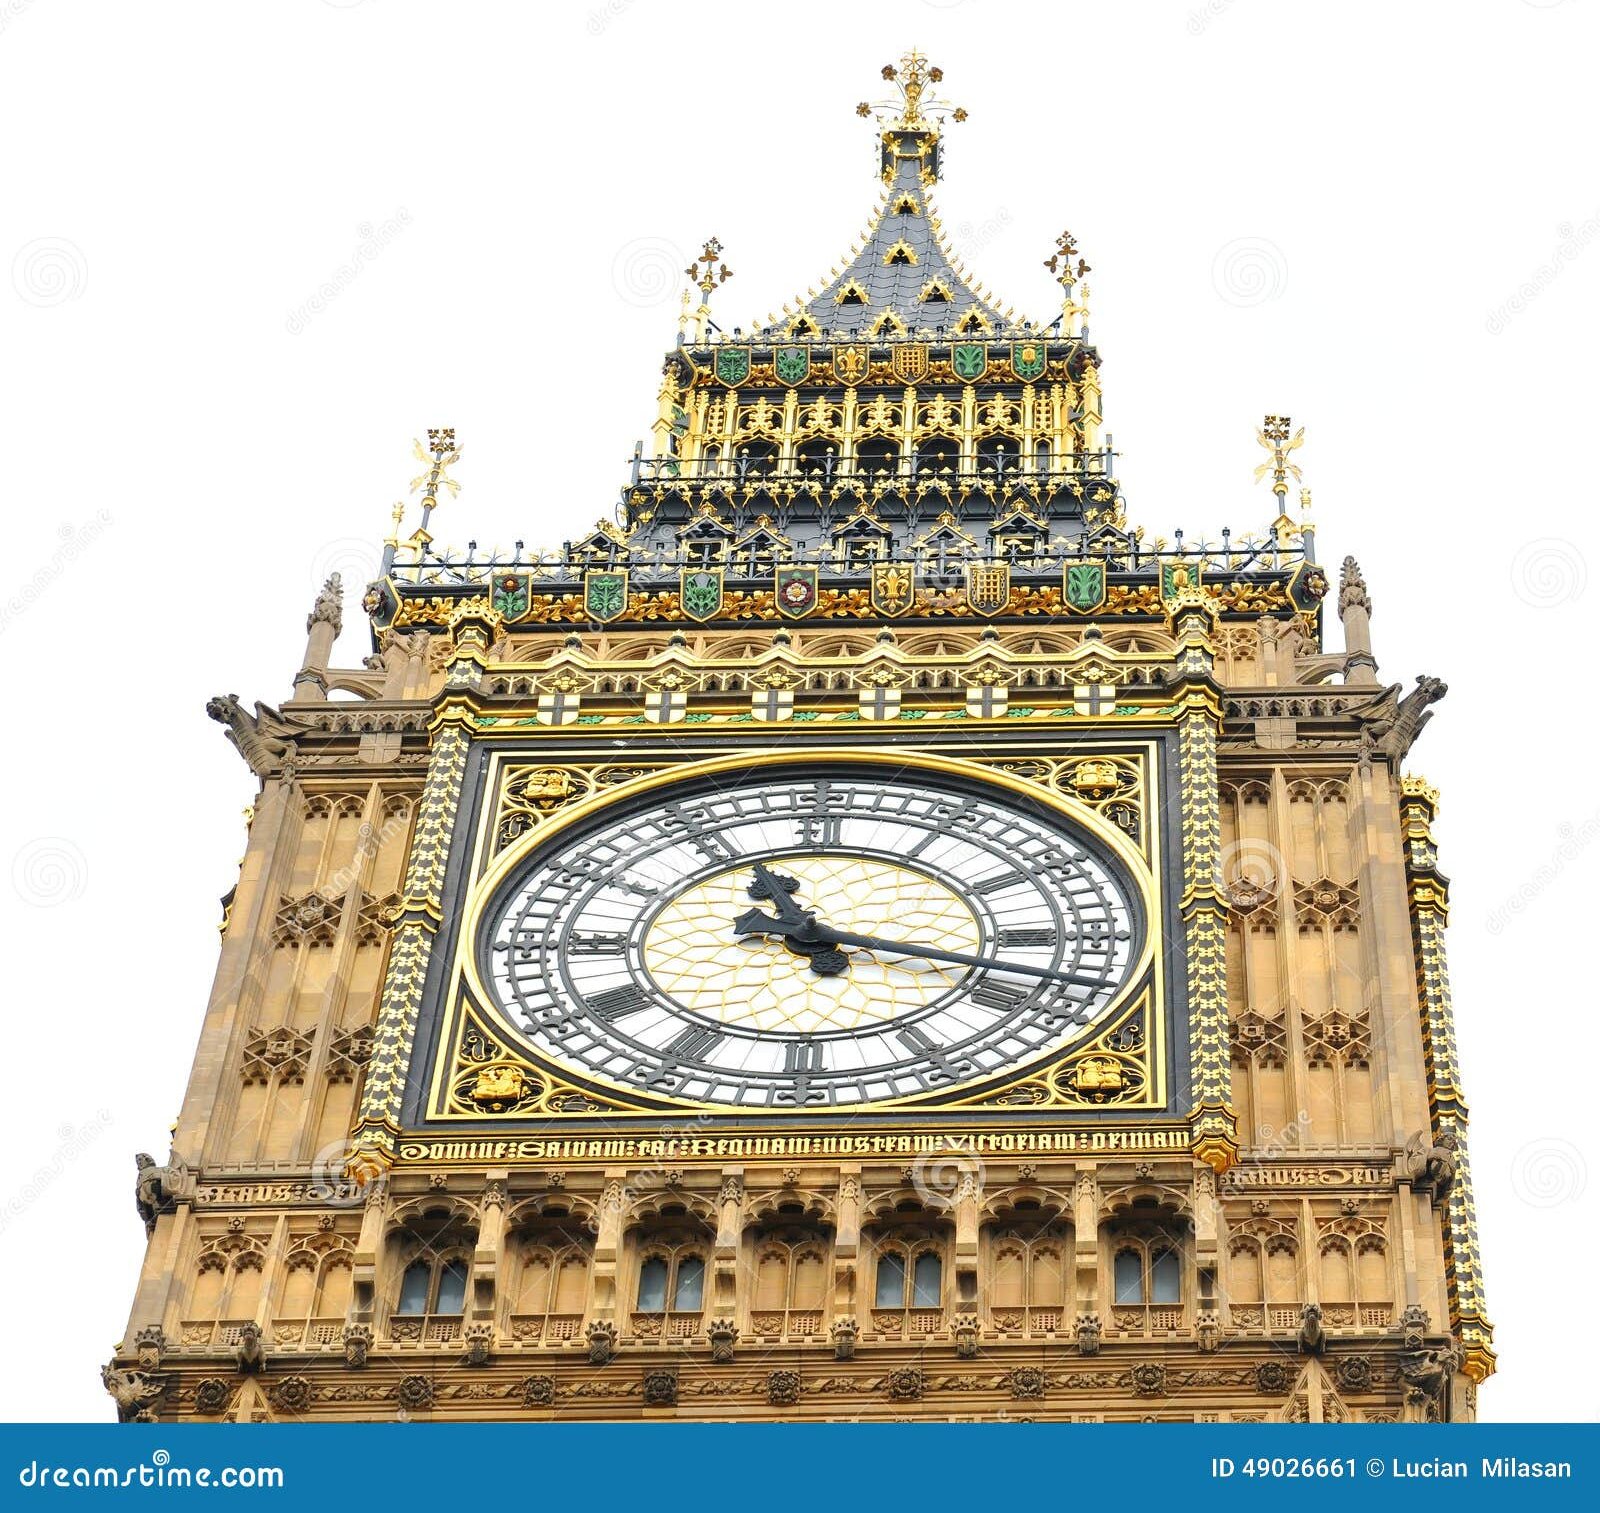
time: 11:17
